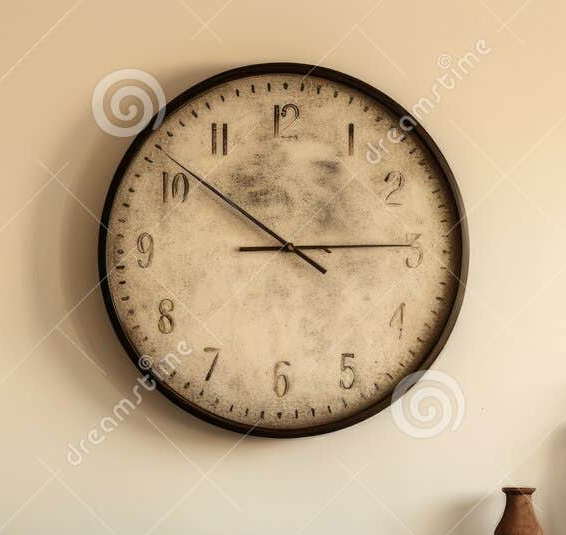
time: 2:51
